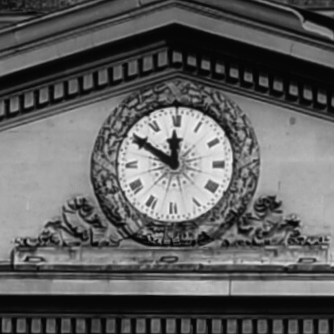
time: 11:50
